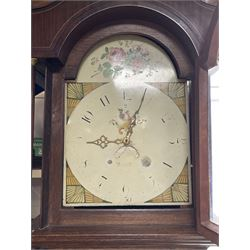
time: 9:04
